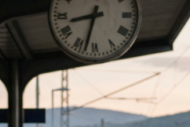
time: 8:32
